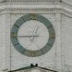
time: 12:44
